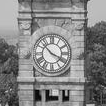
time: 3:52
